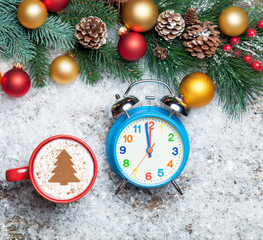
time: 11:58
